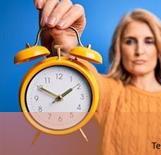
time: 1:50
